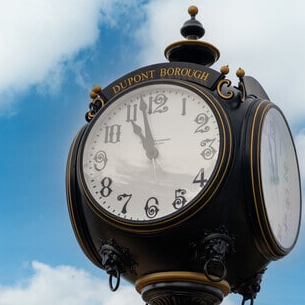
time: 10:57
